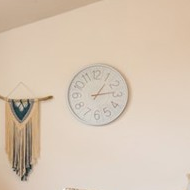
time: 1:13
